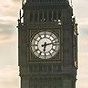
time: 6:13
